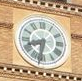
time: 8:32
